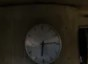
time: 6:14
